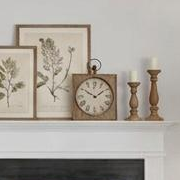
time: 1:50
